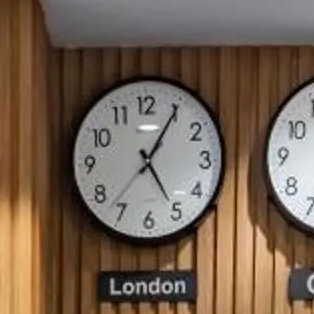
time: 5:05
